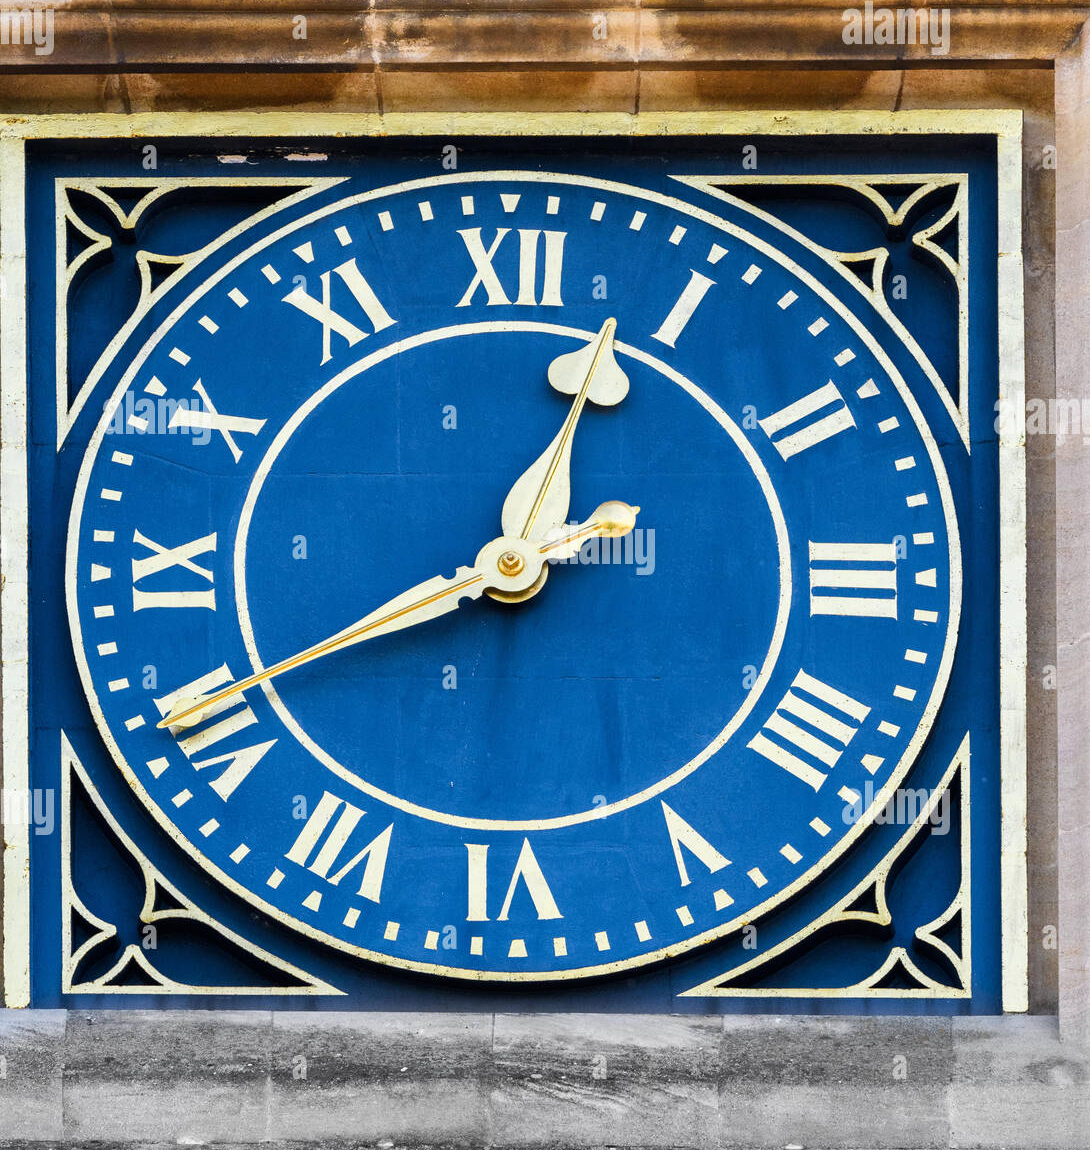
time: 12:40
